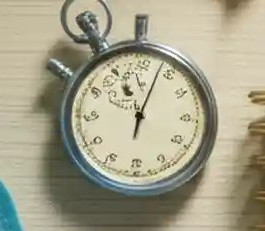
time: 11:03
